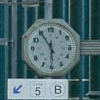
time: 5:54
